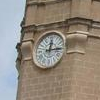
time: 12:14
